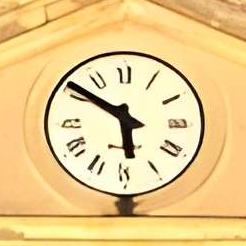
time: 5:51
